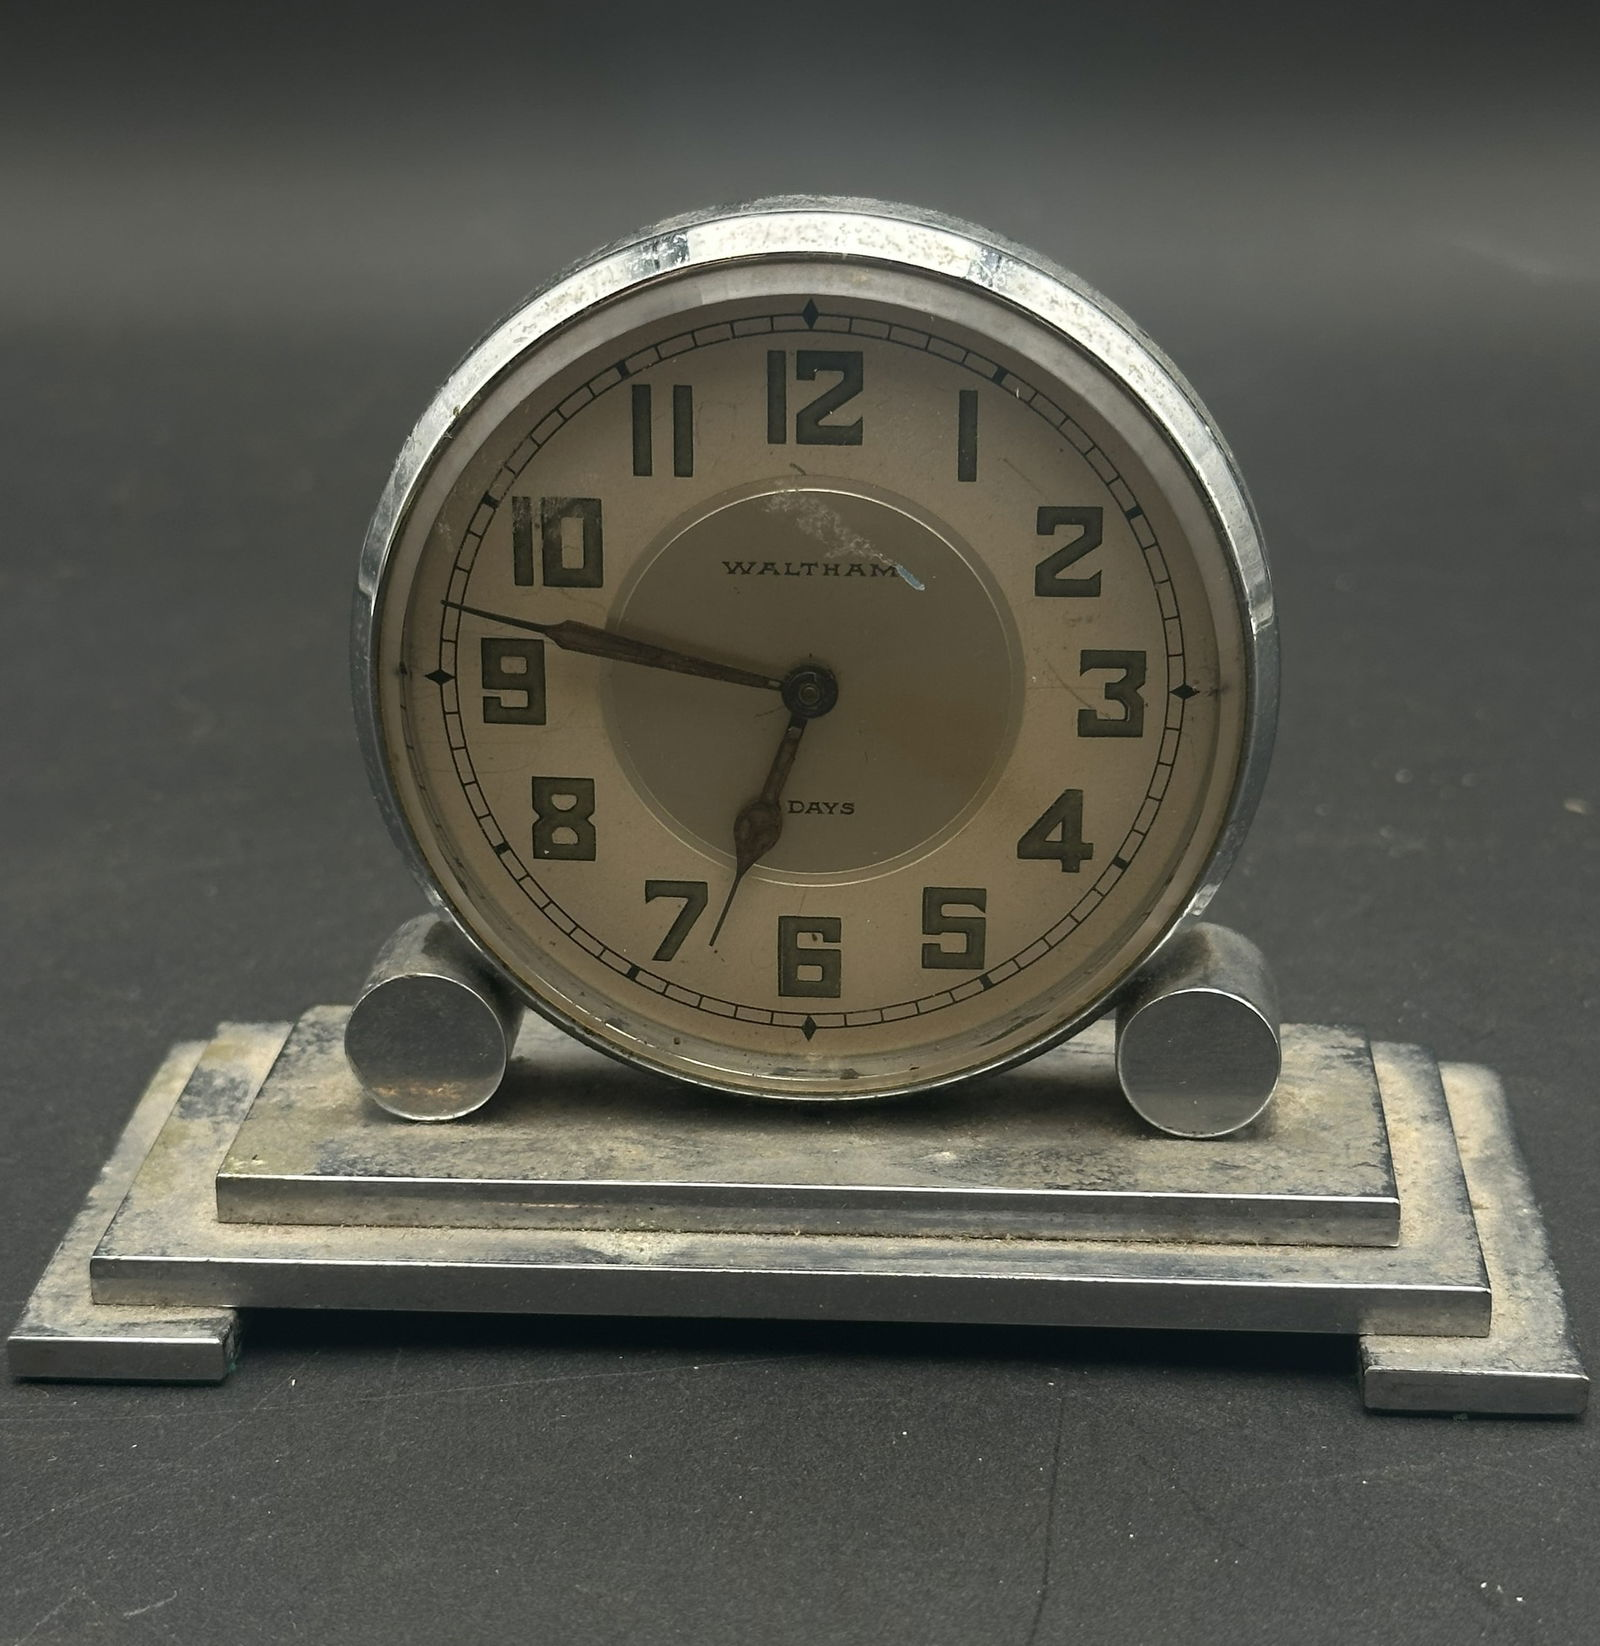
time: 6:46
